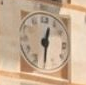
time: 12:30
